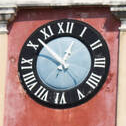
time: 12:52
